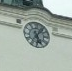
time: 5:06
